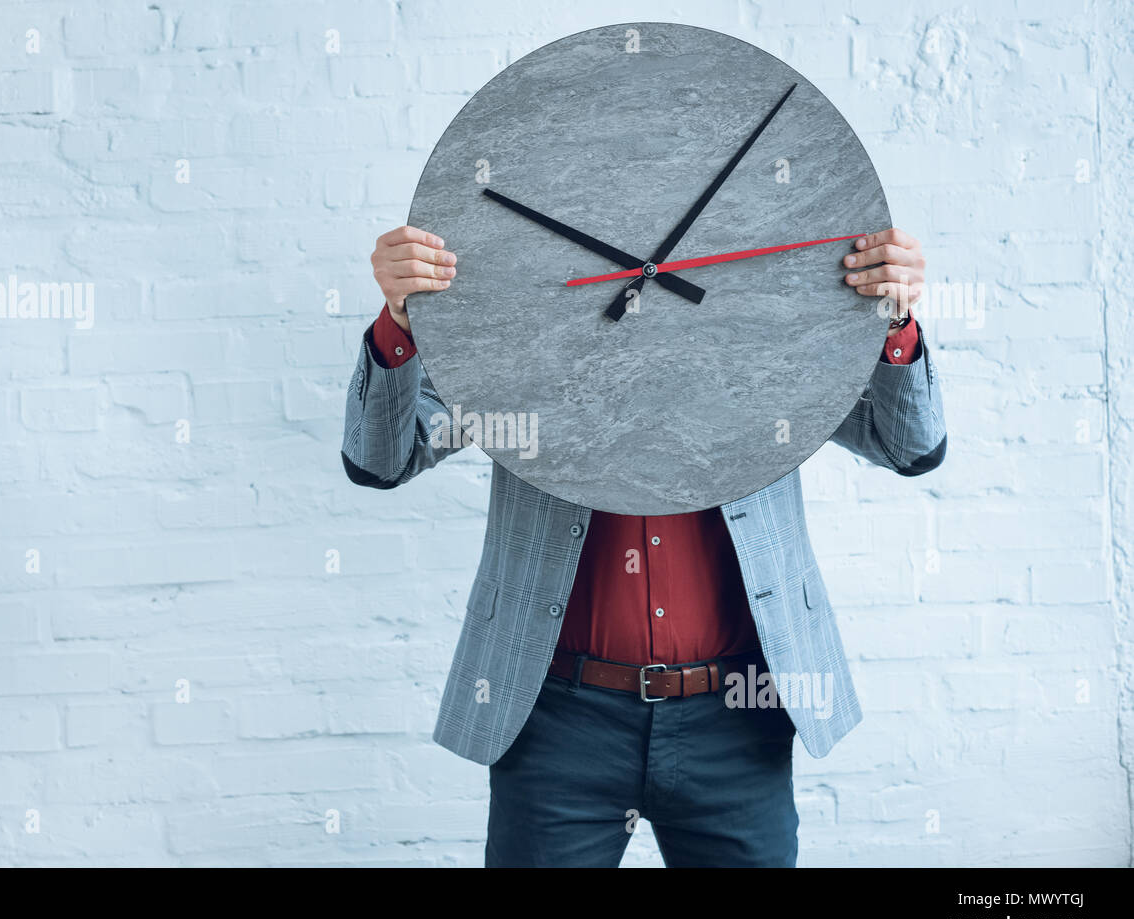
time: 10:07
